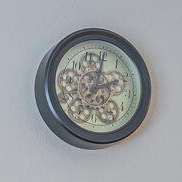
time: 2:00
